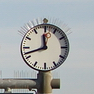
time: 11:42
